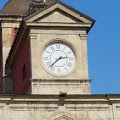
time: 2:38
